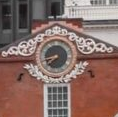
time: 7:42
